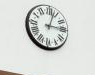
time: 3:03
